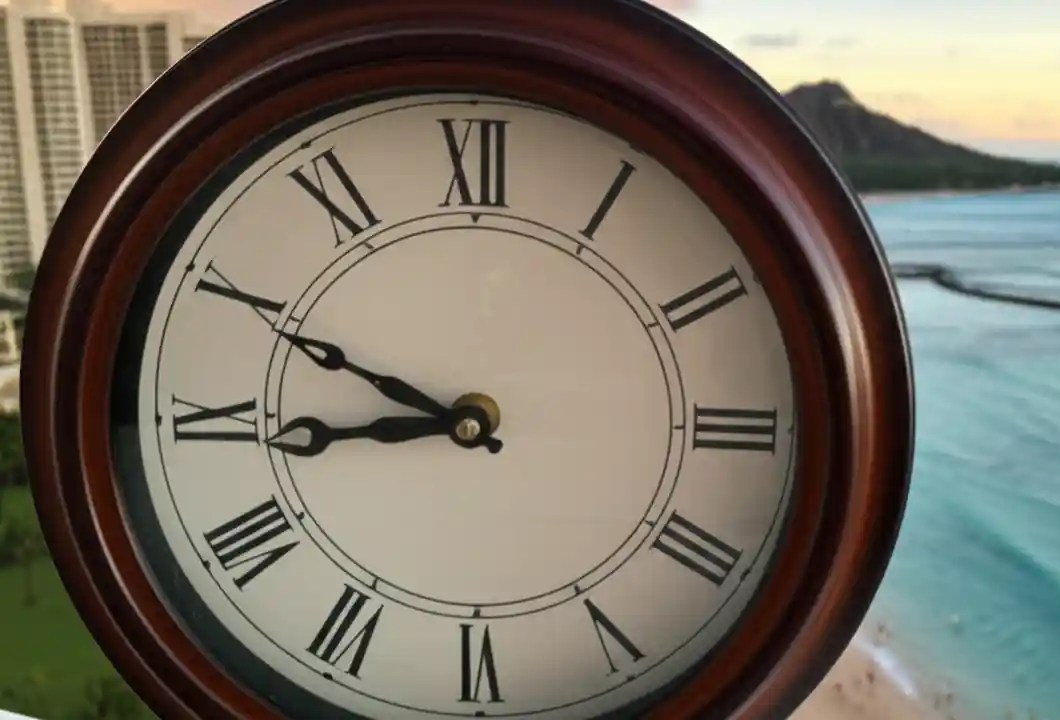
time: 8:49
